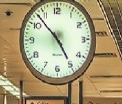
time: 4:52
